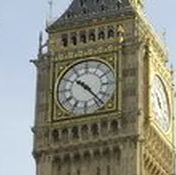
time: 10:23
